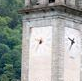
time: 9:36
